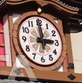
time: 2:59
